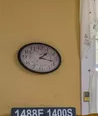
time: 1:17
